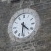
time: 4:31
